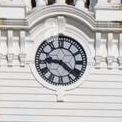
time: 9:22
